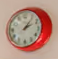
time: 2:06
